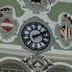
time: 2:11
